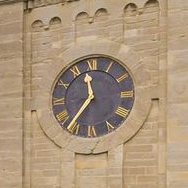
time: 11:36
